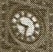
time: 9:32
